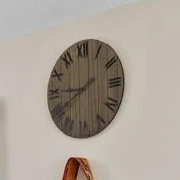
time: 8:39
